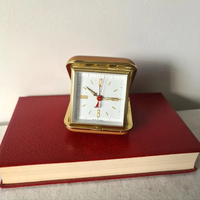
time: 10:14
